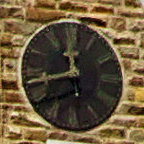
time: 11:43
